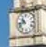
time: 10:42
